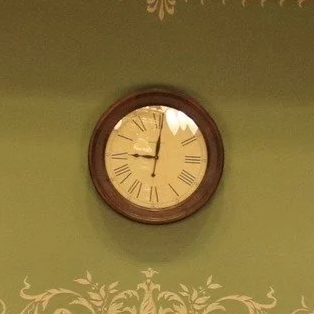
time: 9:01
